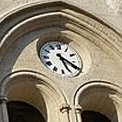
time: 5:19
